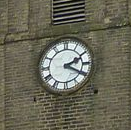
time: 2:19
